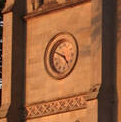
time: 4:49
